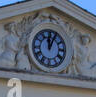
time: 12:04
